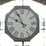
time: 9:55
